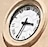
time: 3:35
